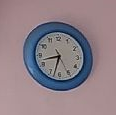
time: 8:32
